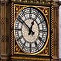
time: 12:51
